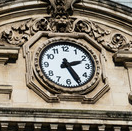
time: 2:25
